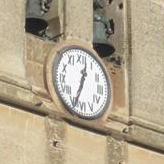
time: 12:33
